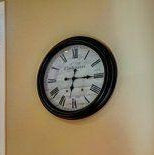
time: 6:15
